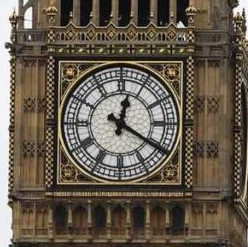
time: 12:20
